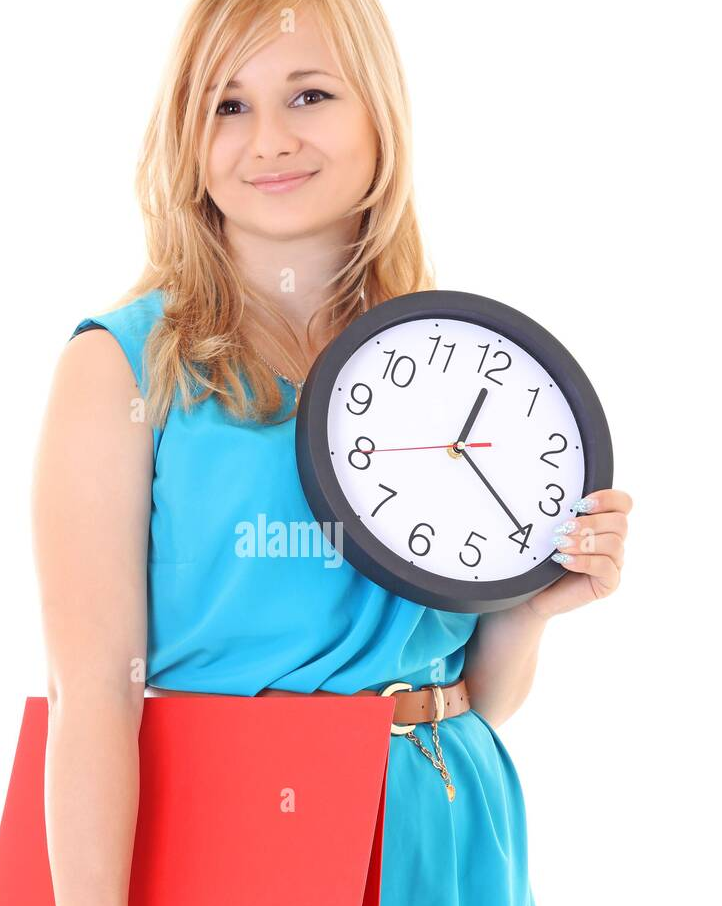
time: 12:19
